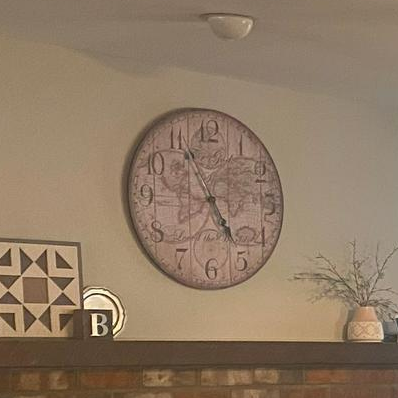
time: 4:55
